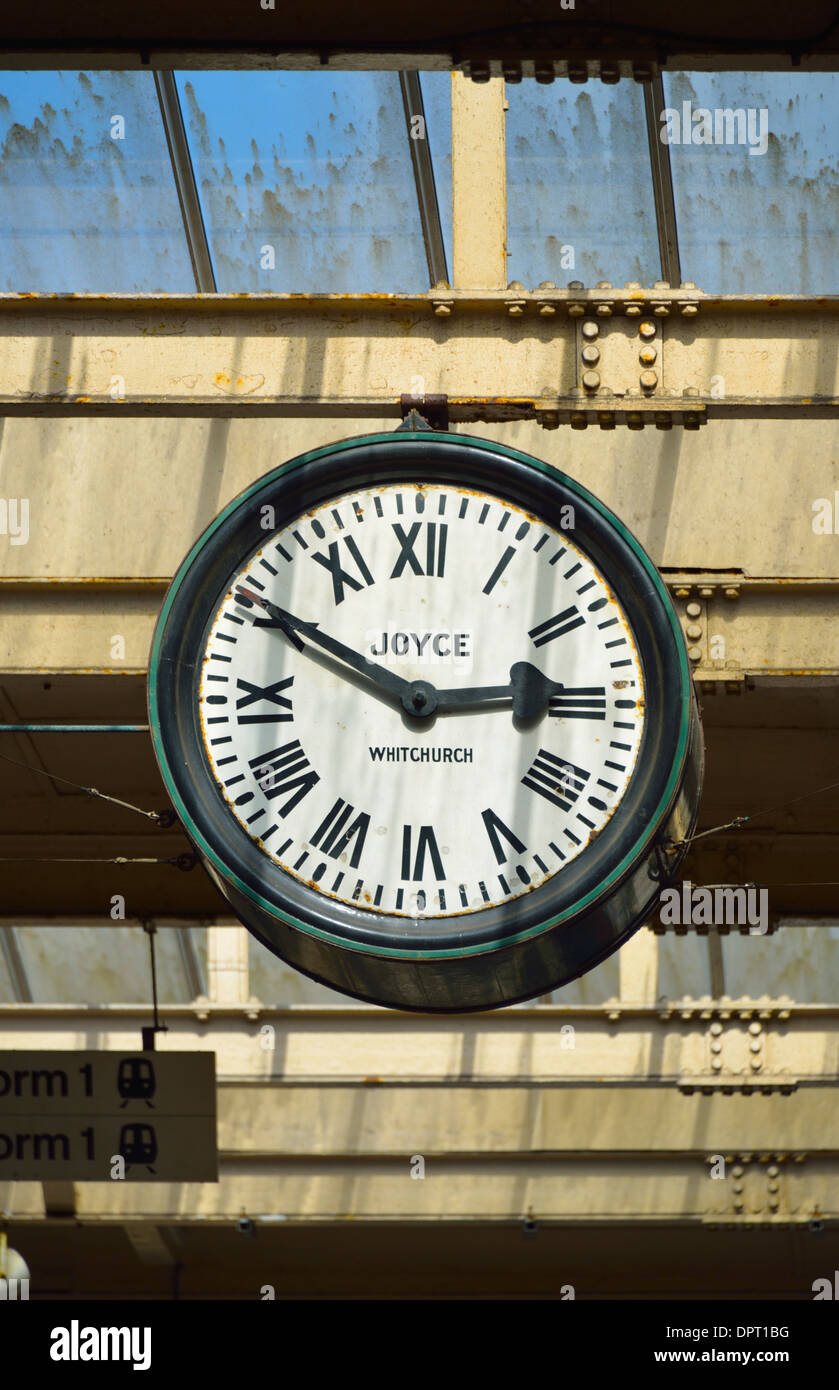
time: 2:50
